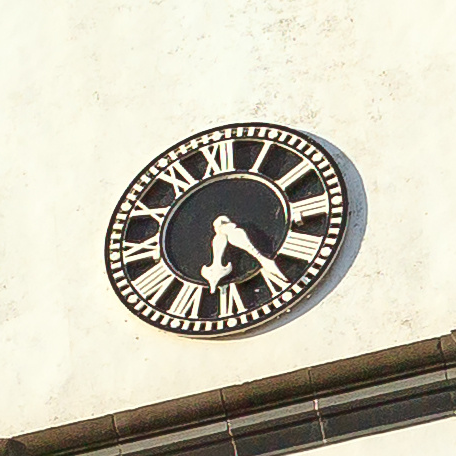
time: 6:23
